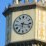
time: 6:17
